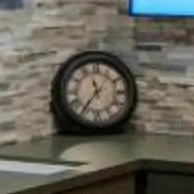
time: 11:35
